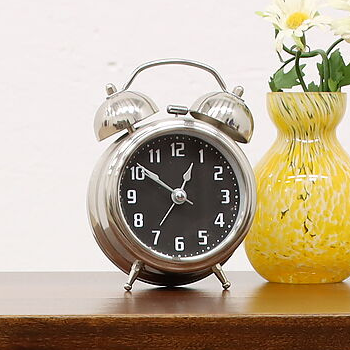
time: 12:51
